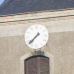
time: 7:37
